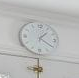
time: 1:20
